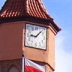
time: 9:07
